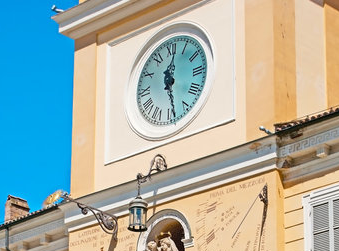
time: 12:28
